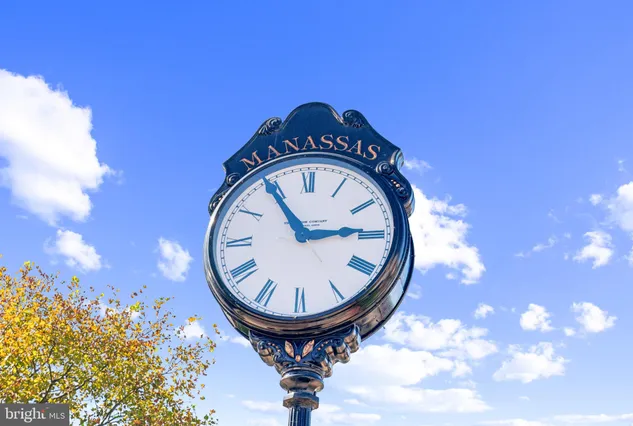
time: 2:54
